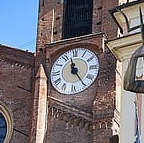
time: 11:24
